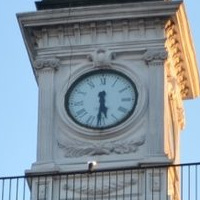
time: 5:31
